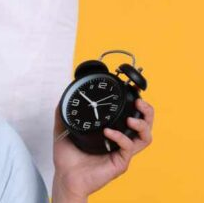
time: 4:49
